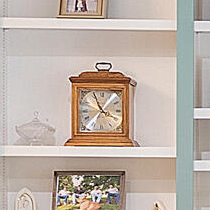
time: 3:56
